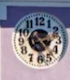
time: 2:23
